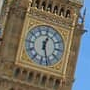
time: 12:26
